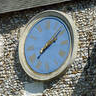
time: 2:07
